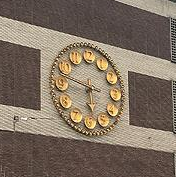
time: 5:47
